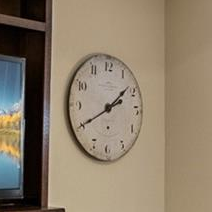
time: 1:40
